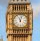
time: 11:03
